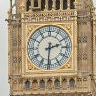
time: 2:30
